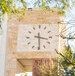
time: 3:29
